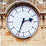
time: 2:33
